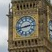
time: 2:43
